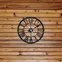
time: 6:10
